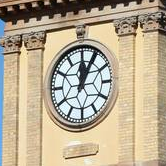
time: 12:04
